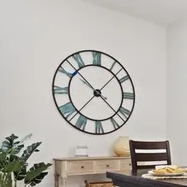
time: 10:22
